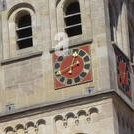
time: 12:40
